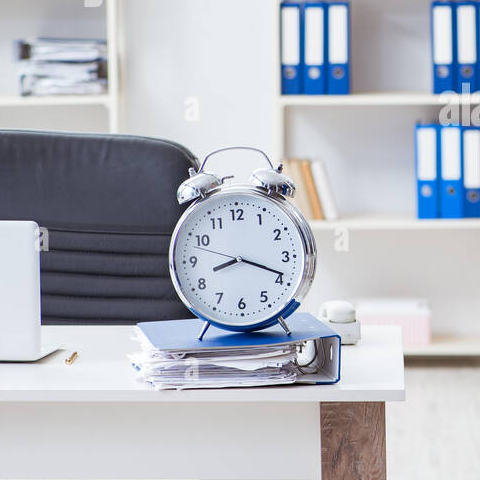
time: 8:18
